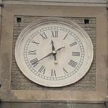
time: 11:39
